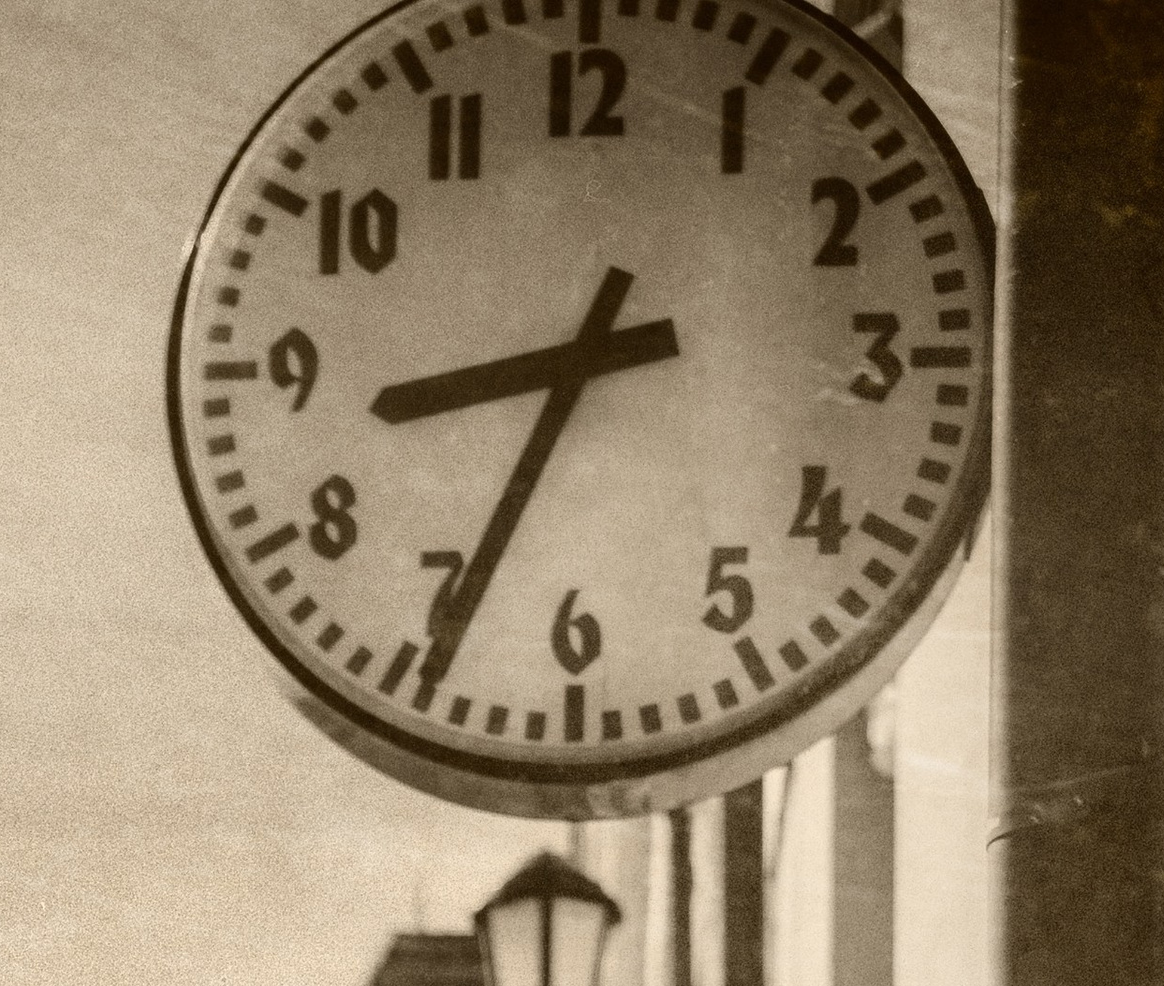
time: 8:34
